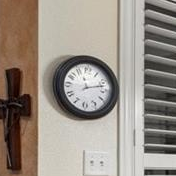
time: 11:12
